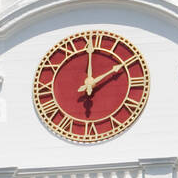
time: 2:00
